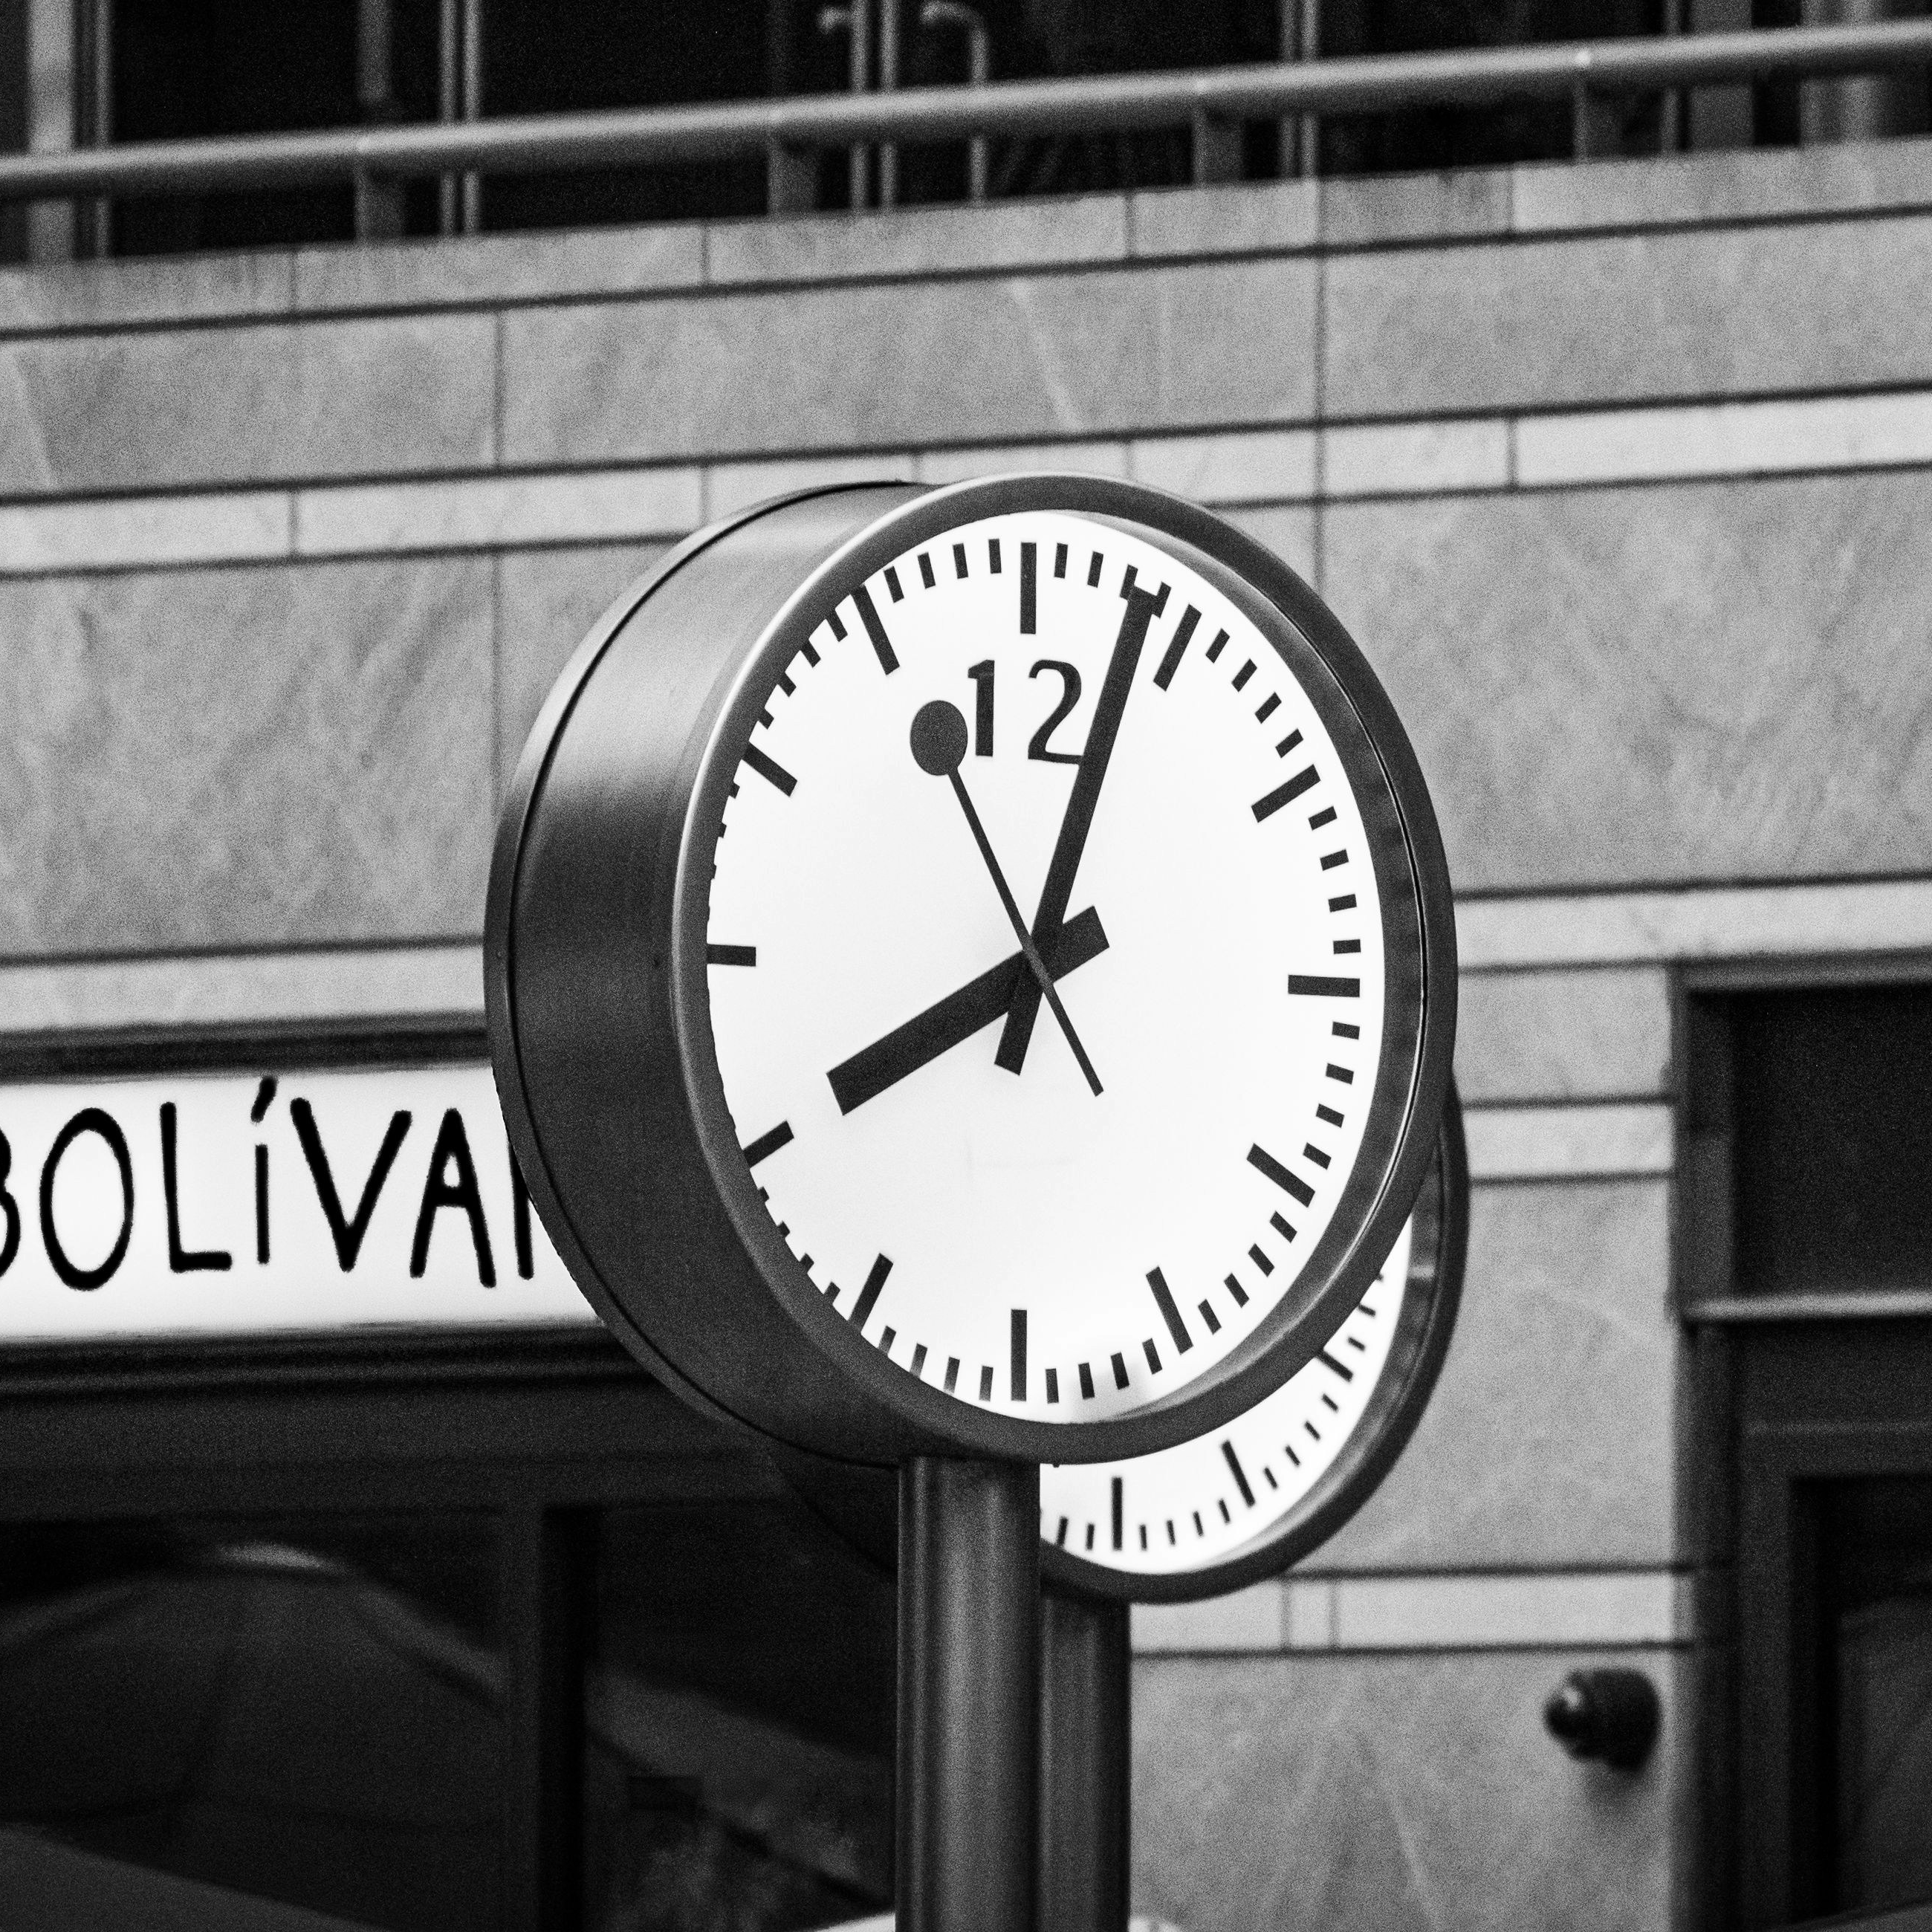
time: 8:03
